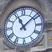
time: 11:08
